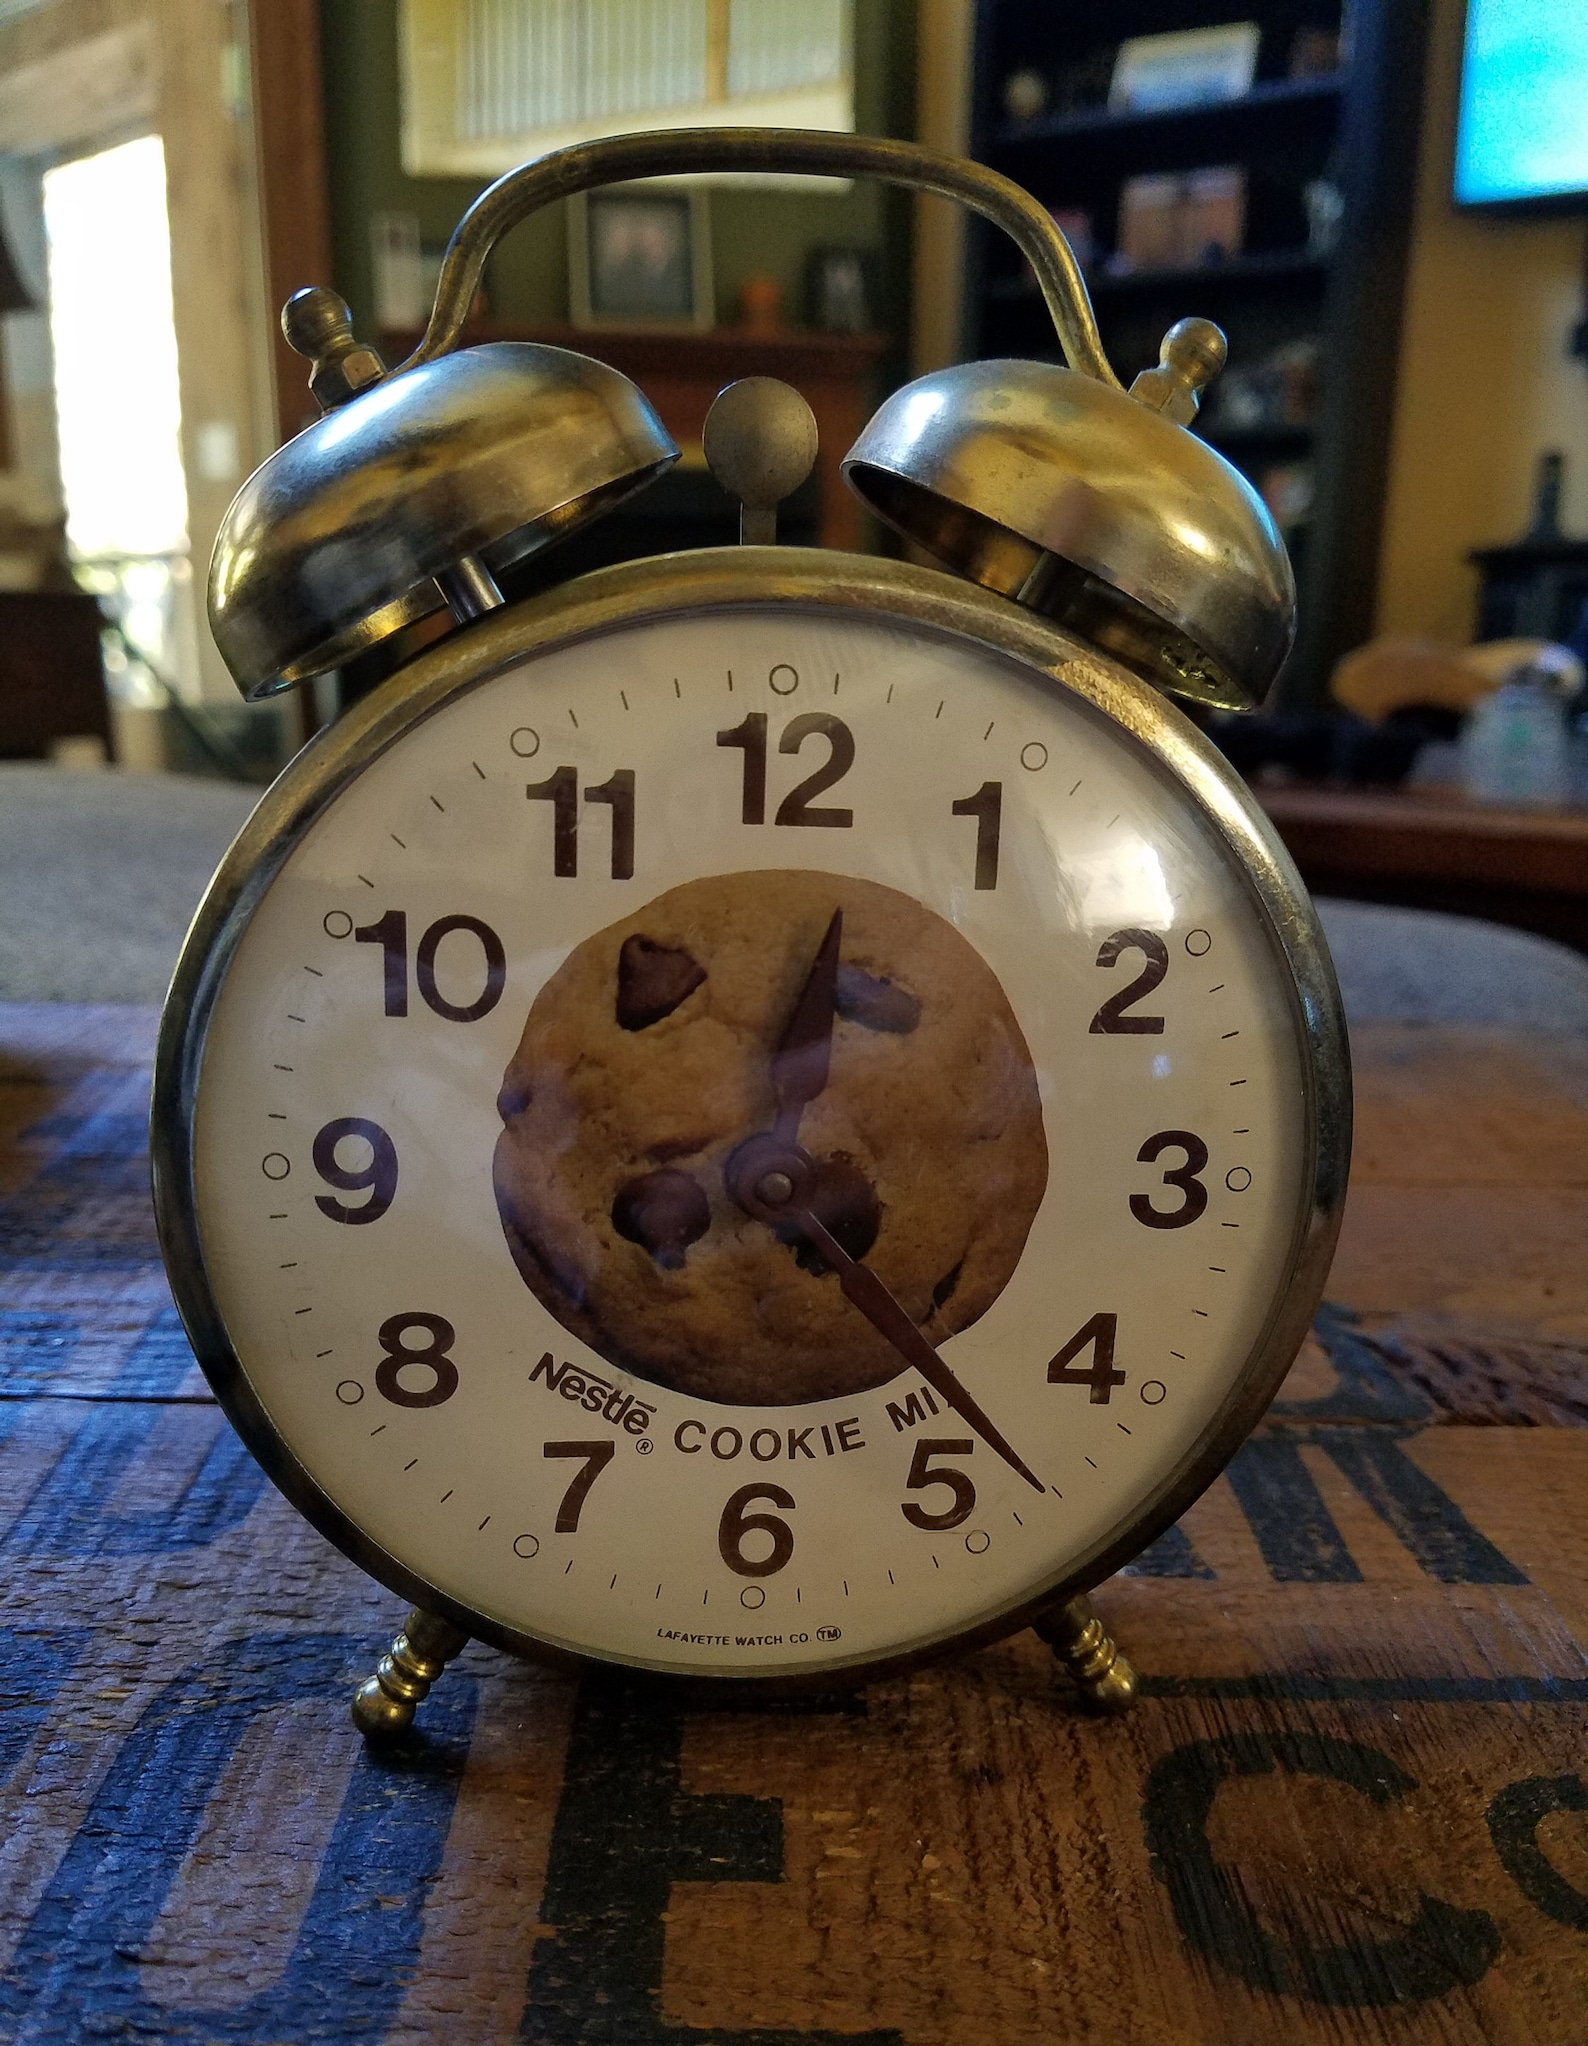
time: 12:23
